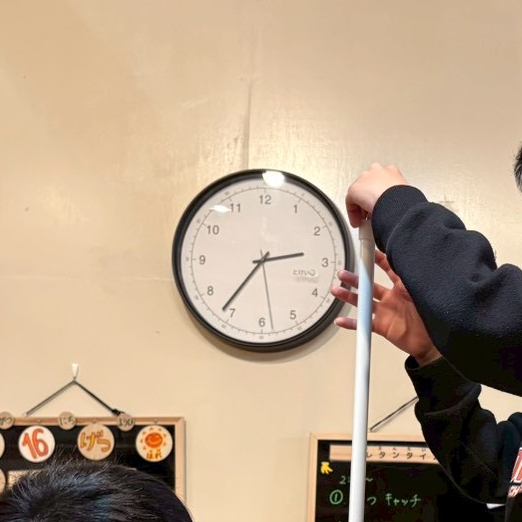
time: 2:36
